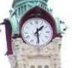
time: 1:29
